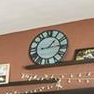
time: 1:13
